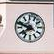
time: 7:48
